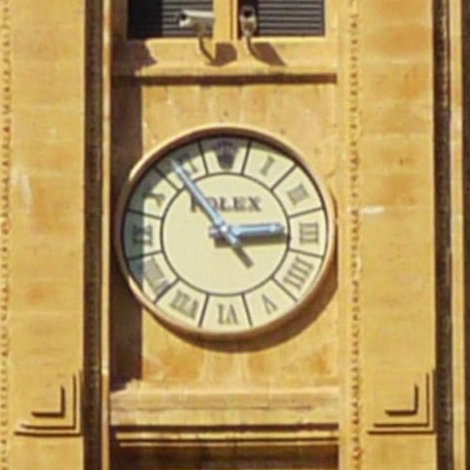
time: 2:53
